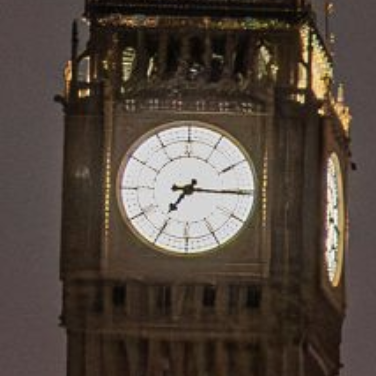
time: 7:15
